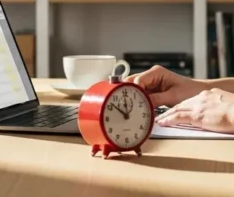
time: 11:51
